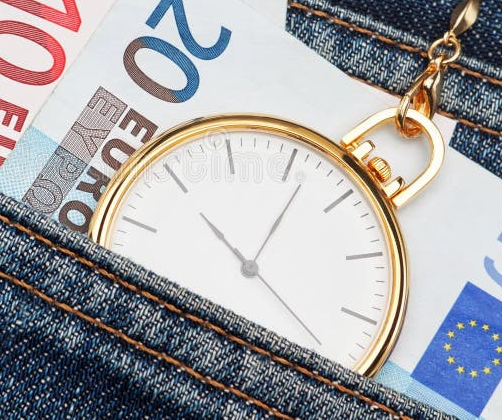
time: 11:06
